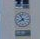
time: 7:55
